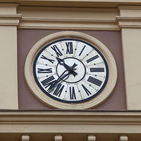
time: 10:37
